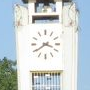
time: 3:39
